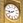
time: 8:40
